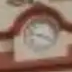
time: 3:47
